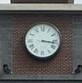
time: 3:16
